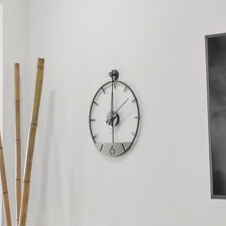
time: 5:59
